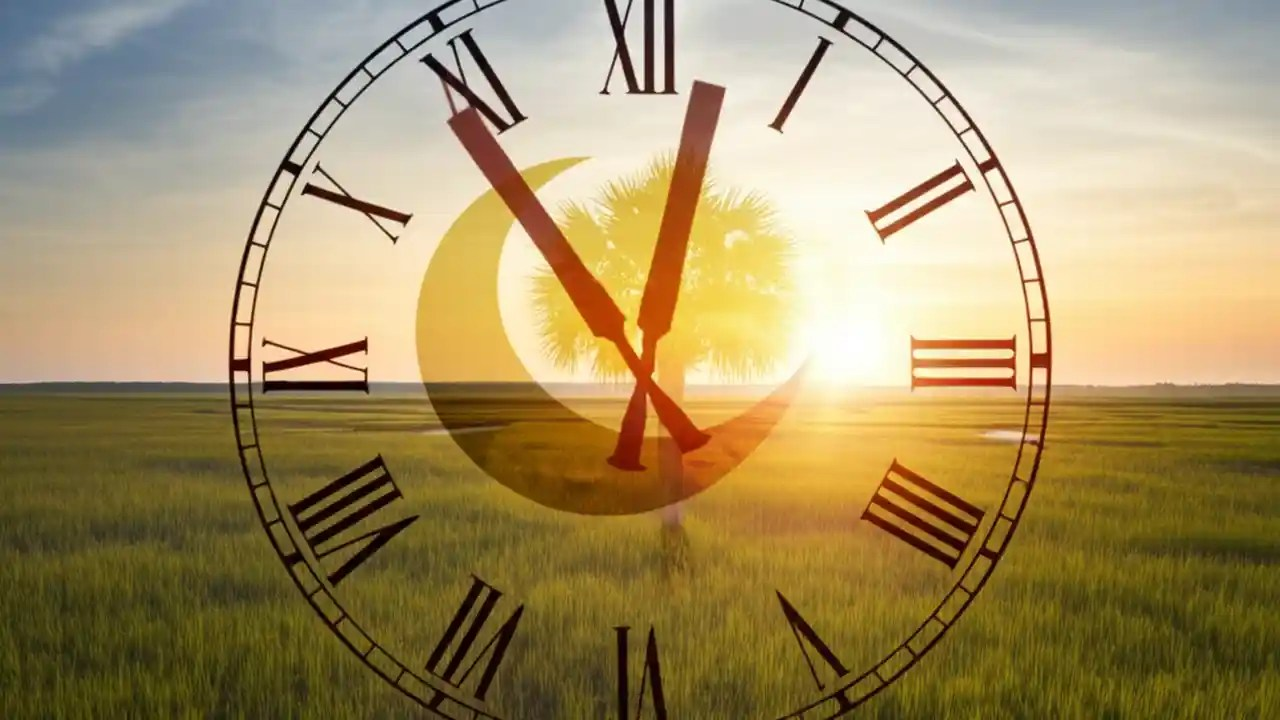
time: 11:02
